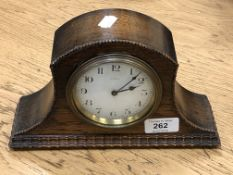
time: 2:07
